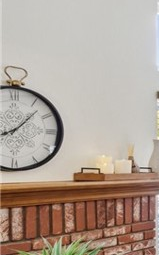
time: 8:07
